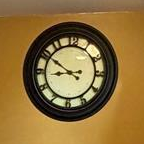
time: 8:50
